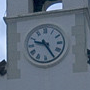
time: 9:25
